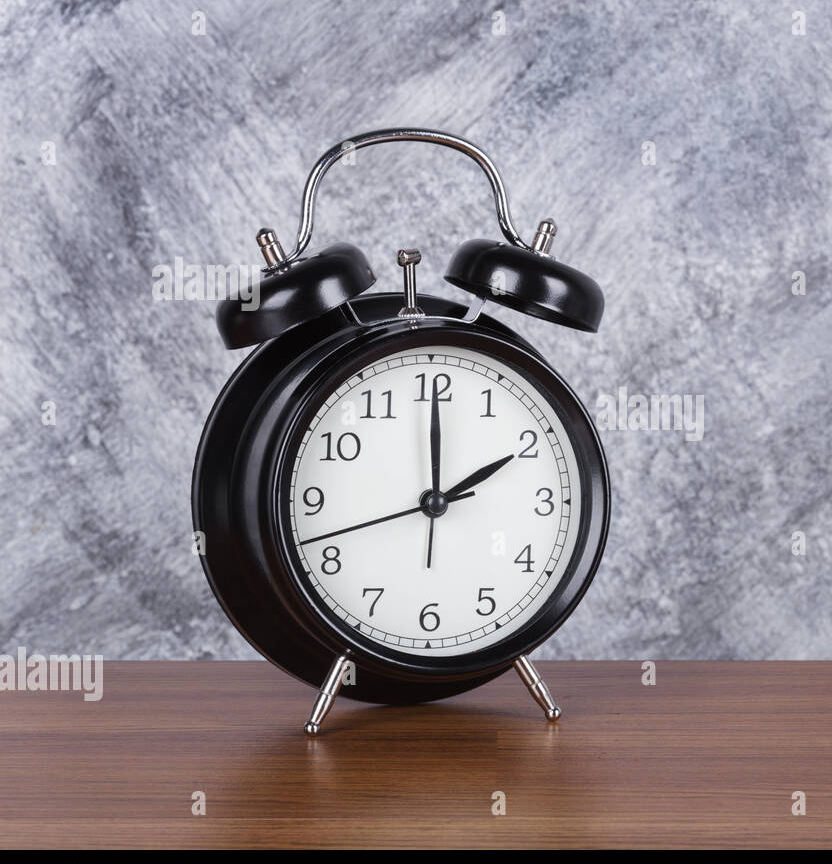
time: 2:00
